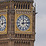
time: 12:13
